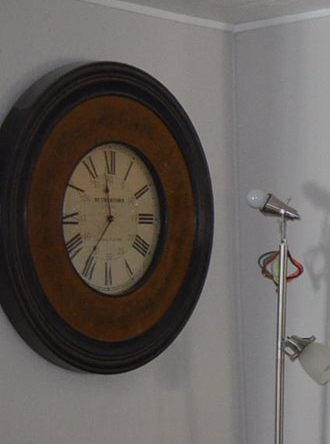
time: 11:35
